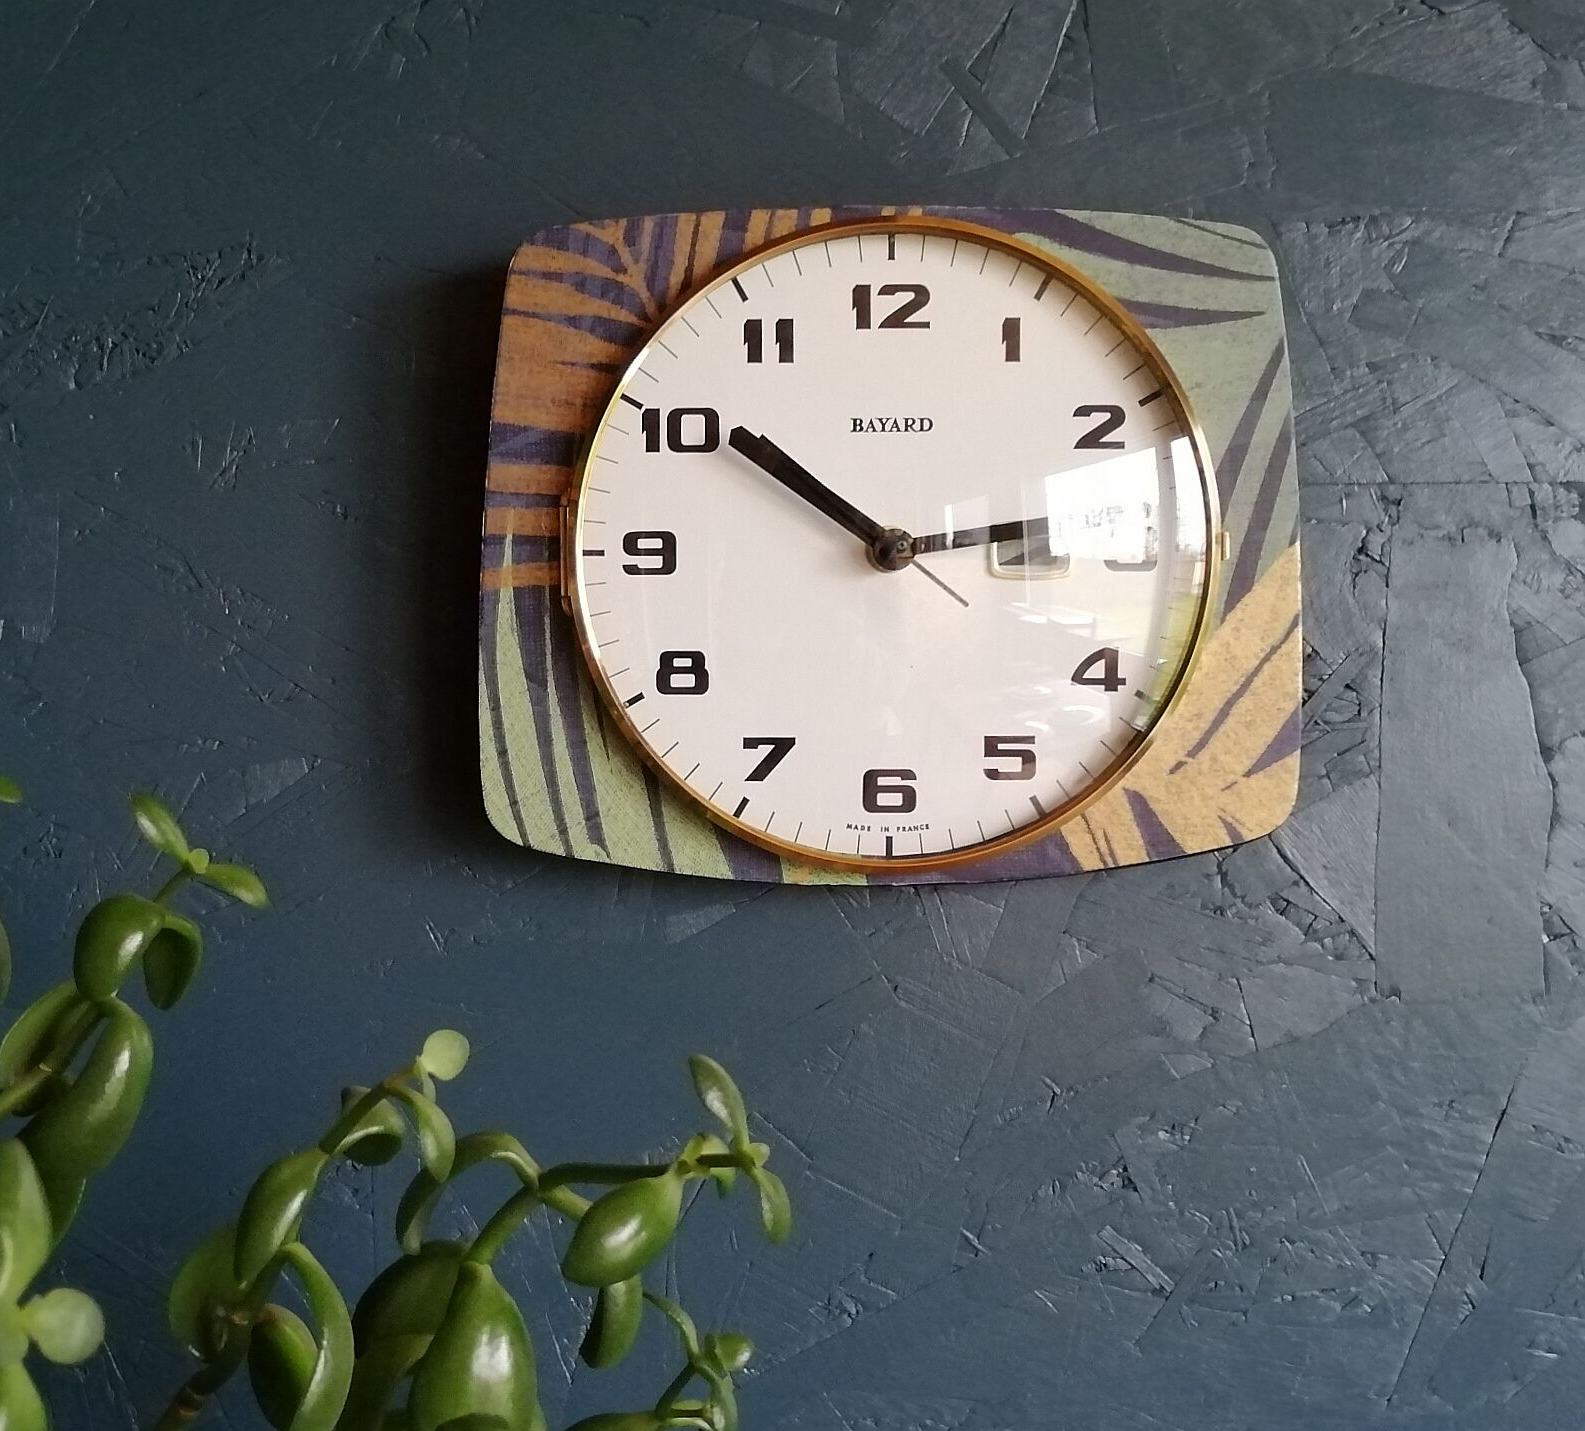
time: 2:50
